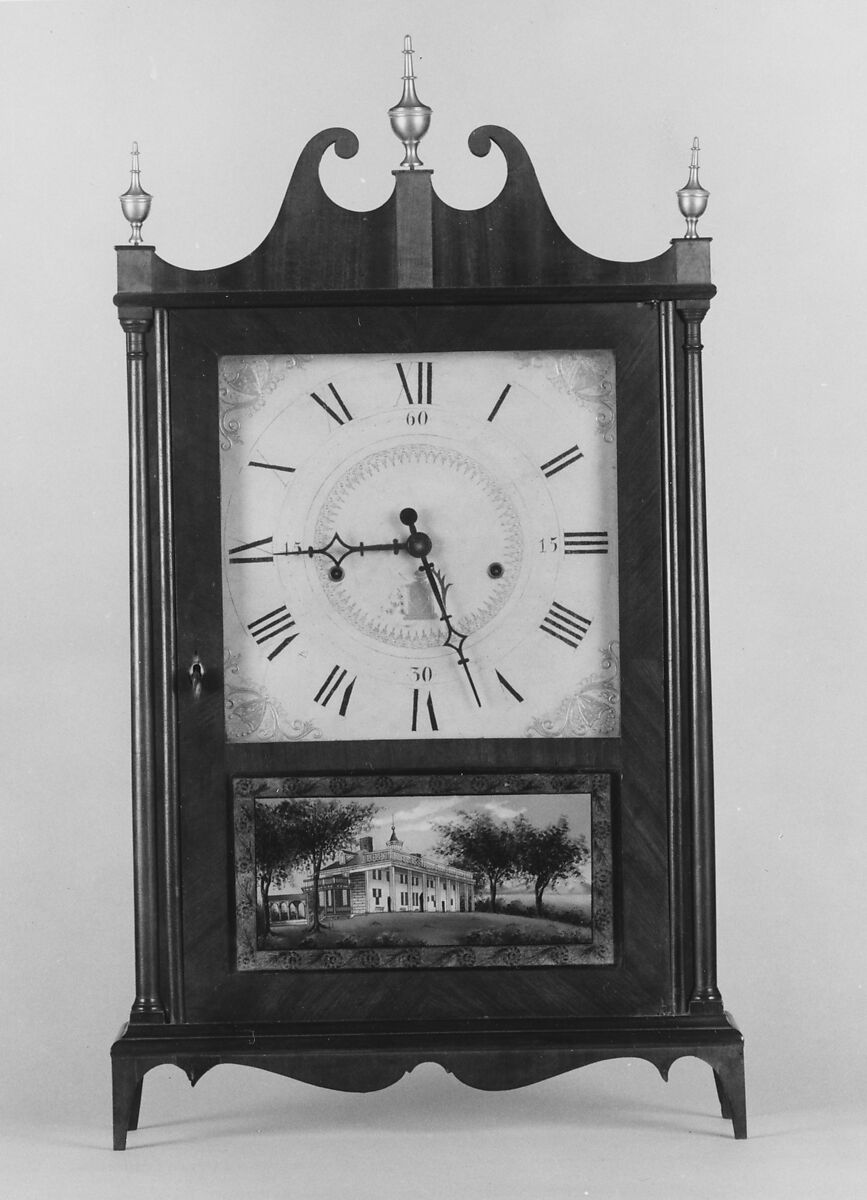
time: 9:26
